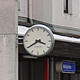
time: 3:39
